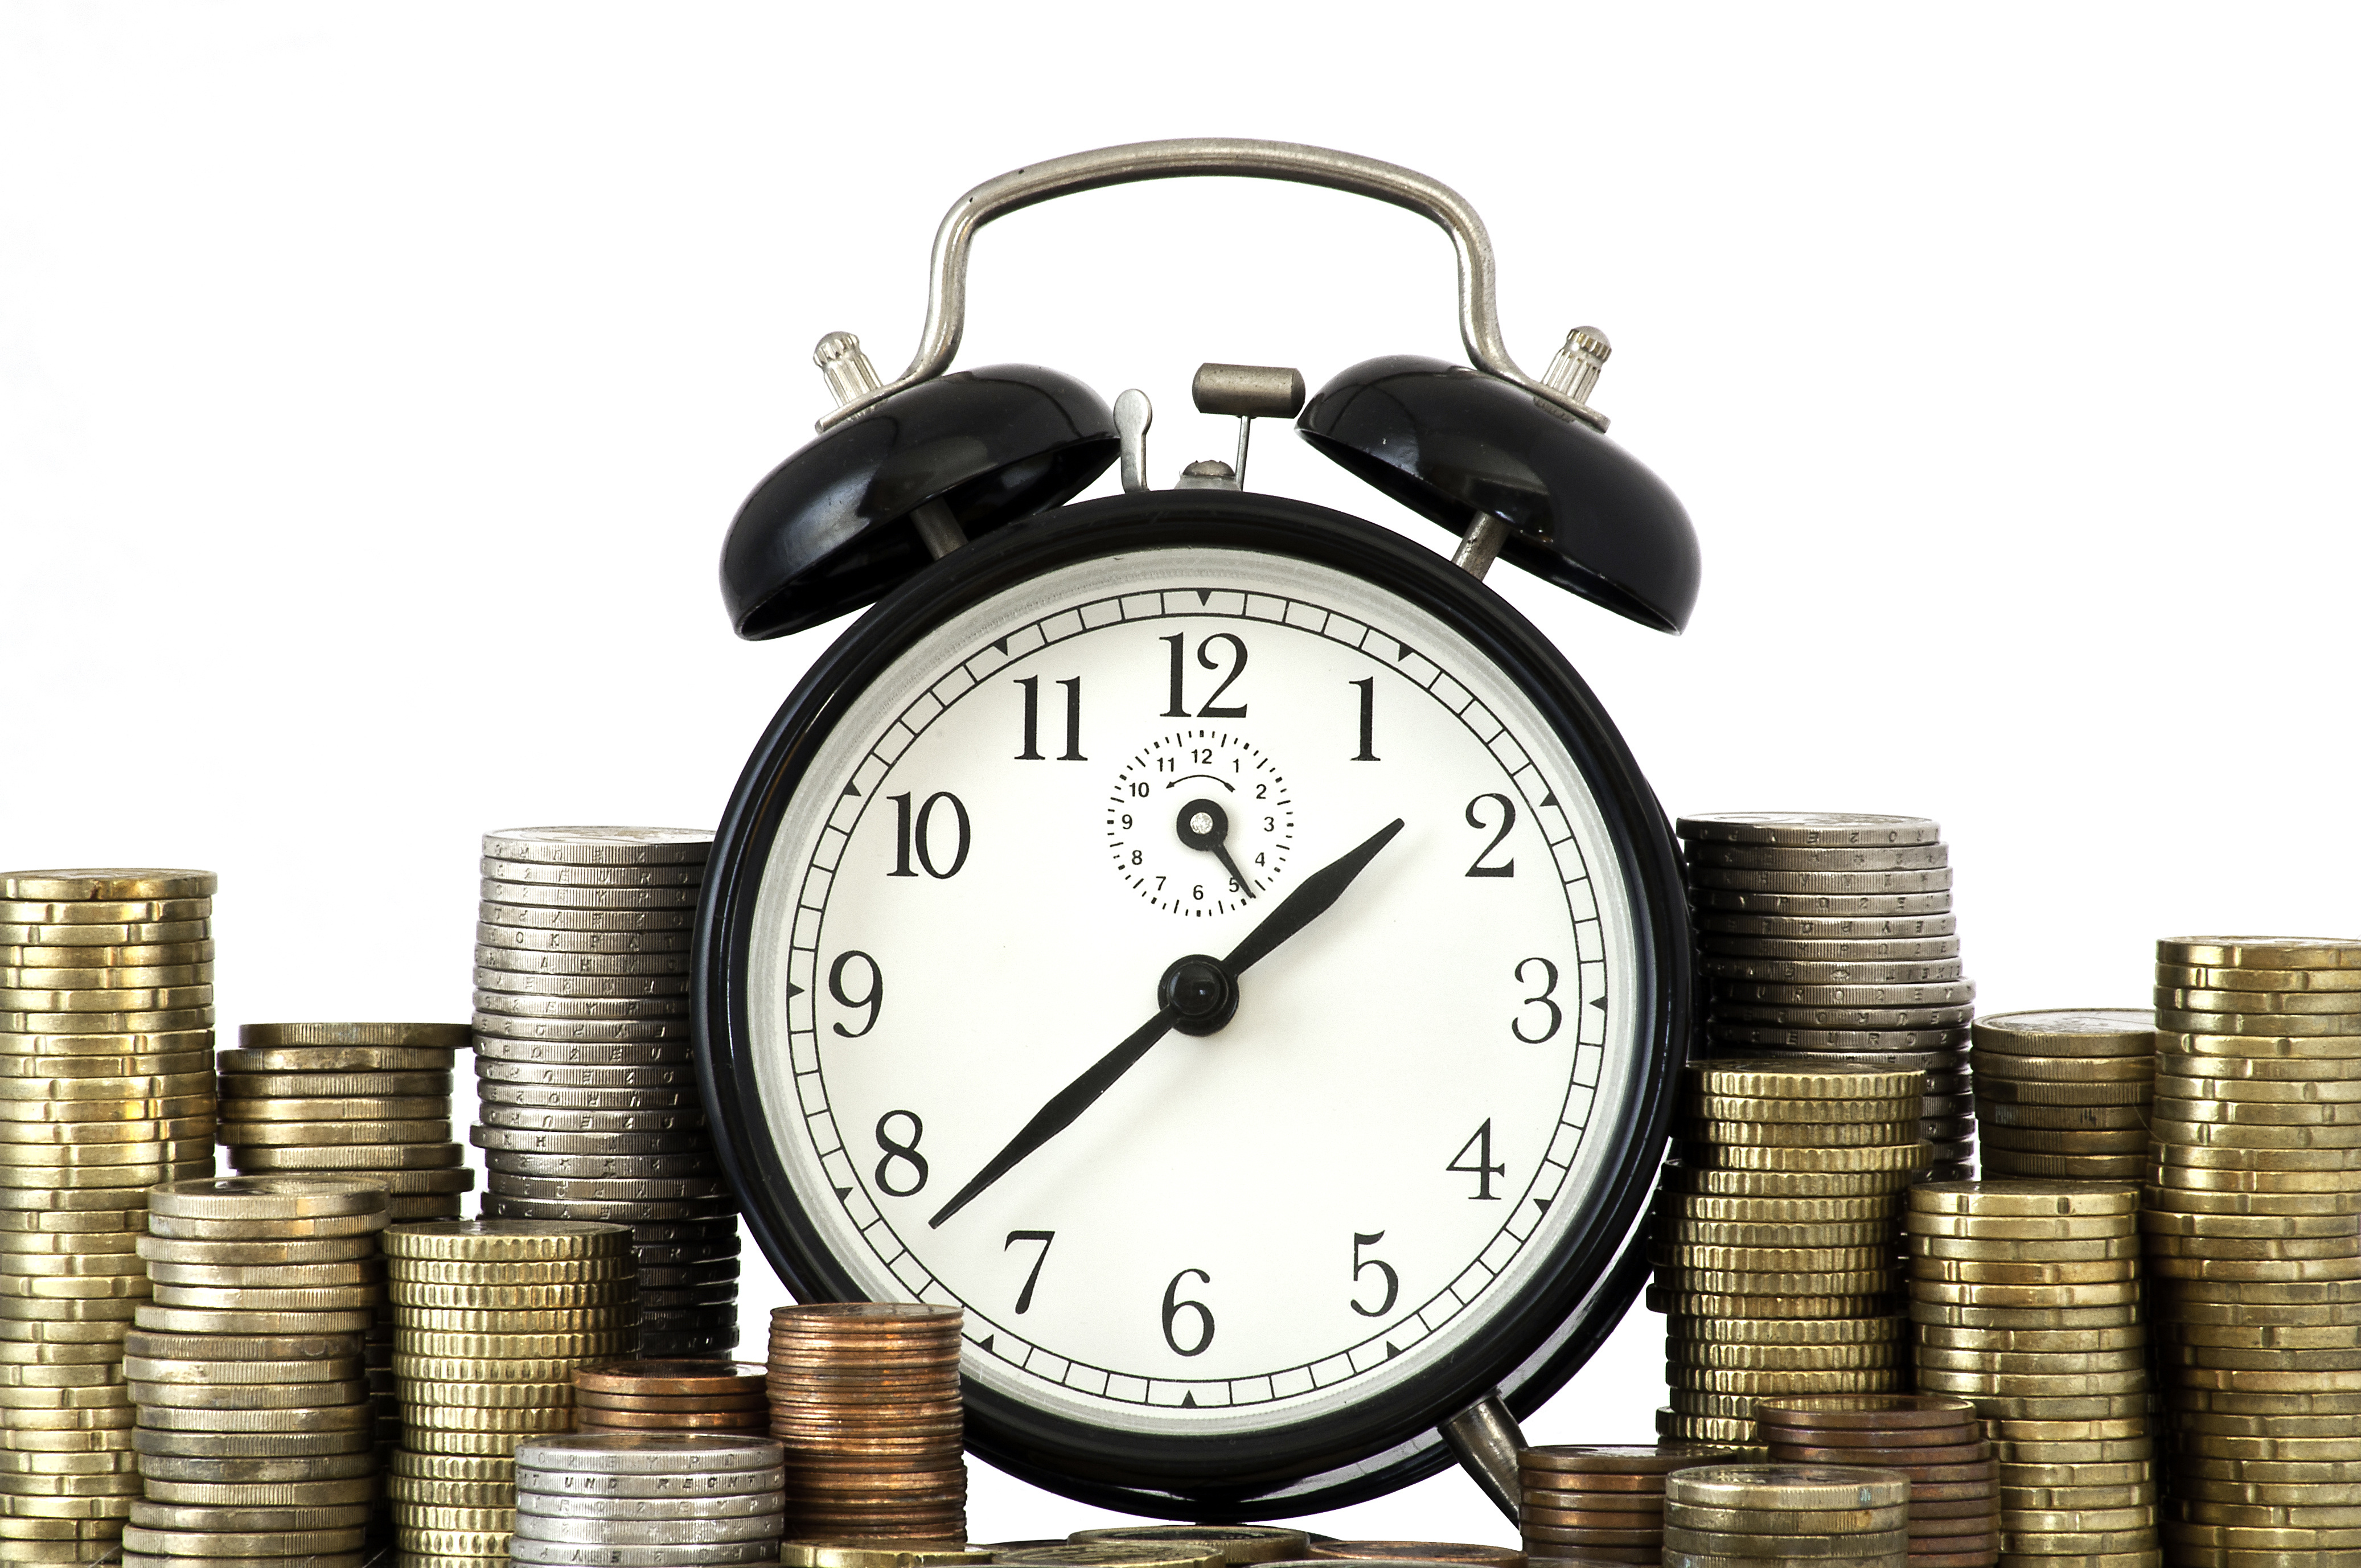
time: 1:37
